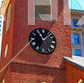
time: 11:07
